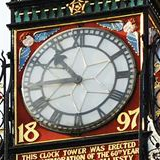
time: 10:45
